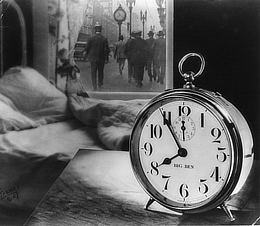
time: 7:54
